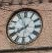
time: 7:55
